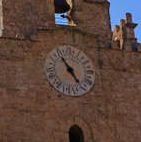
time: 4:54
